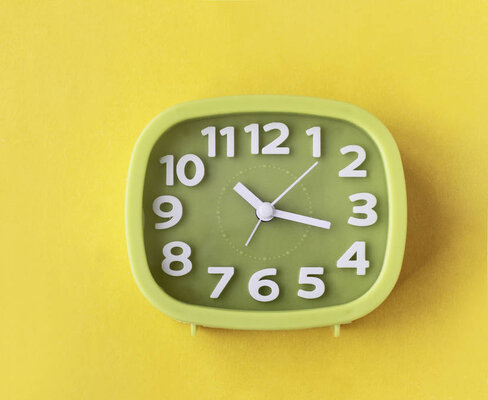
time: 10:17
